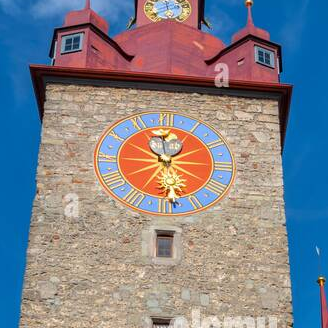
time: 10:28
